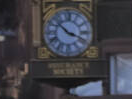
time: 3:52
